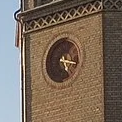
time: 5:17
